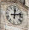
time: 12:12
